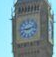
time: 9:12
